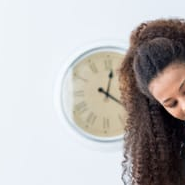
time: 12:19
